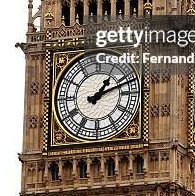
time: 1:11
